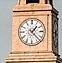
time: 1:22
